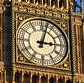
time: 3:02
